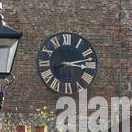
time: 3:12
